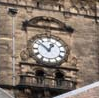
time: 12:52
